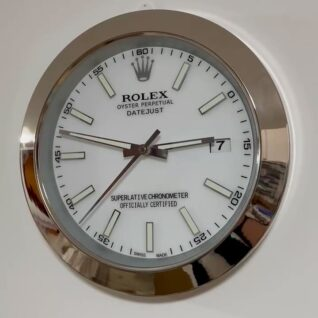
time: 2:47
